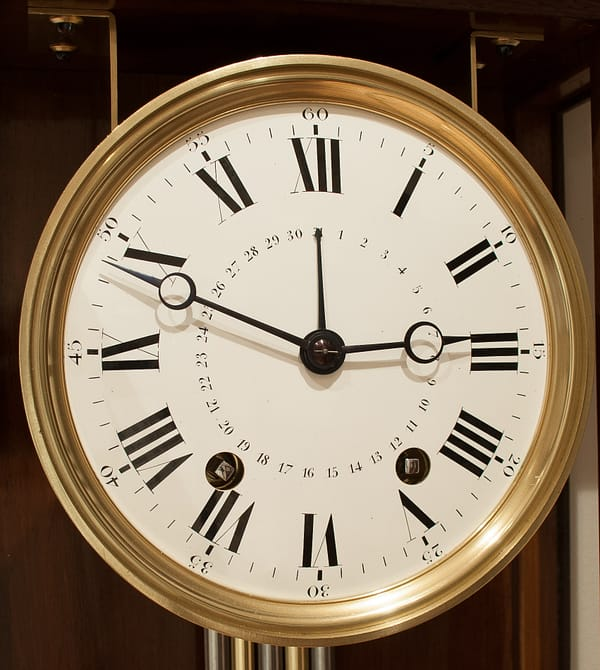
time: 2:48
